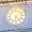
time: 6:23
